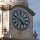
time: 4:49
